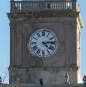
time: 4:13
